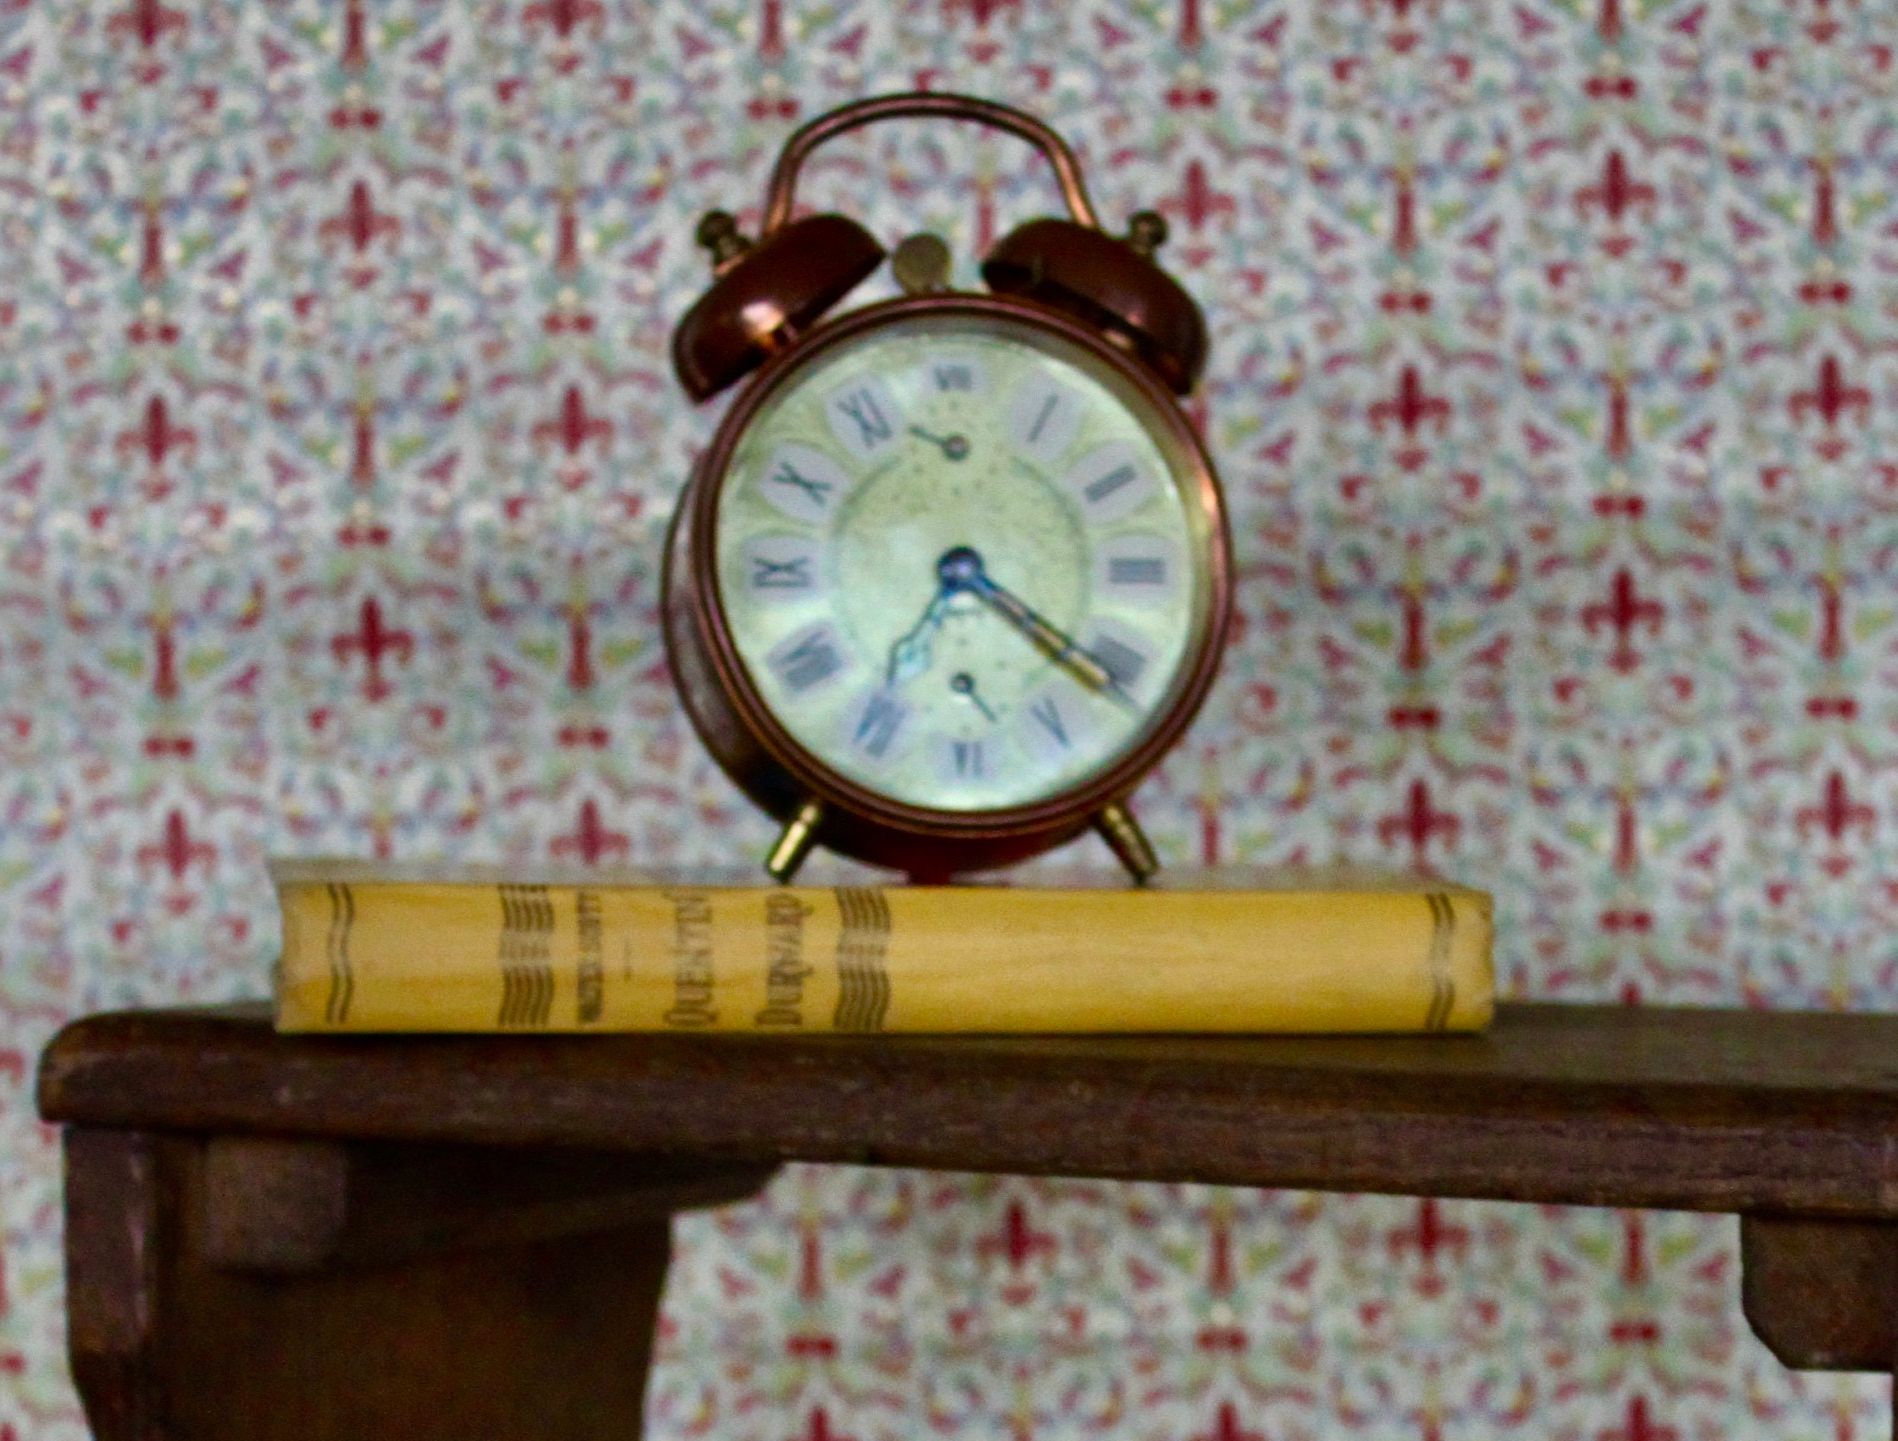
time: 4:21
